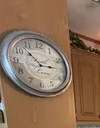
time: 2:52
